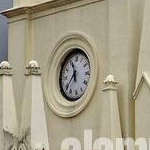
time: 11:37
